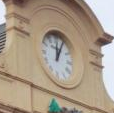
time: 12:04
